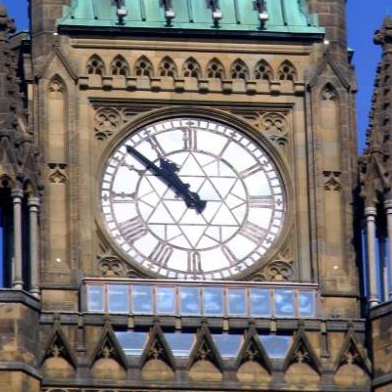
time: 10:51
